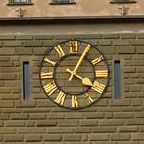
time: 4:04
